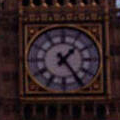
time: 1:24
